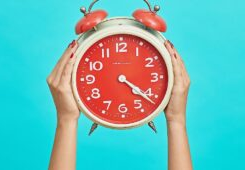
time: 4:21
